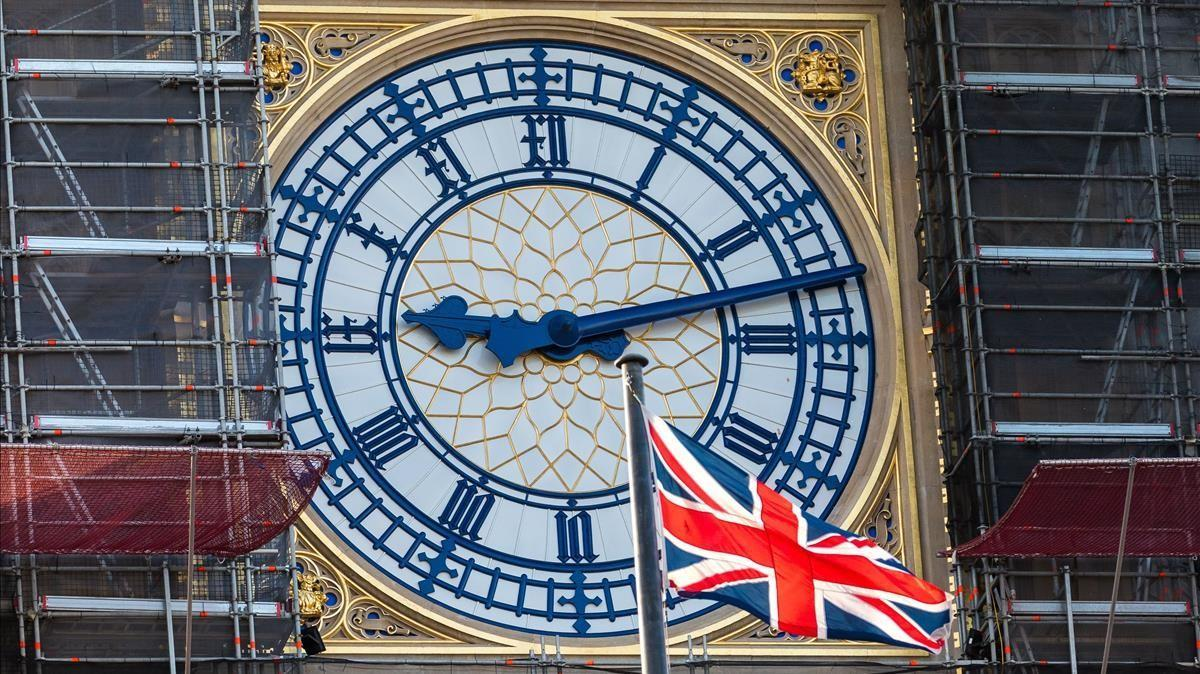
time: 9:12
